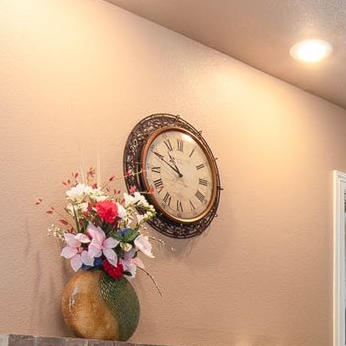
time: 10:49
